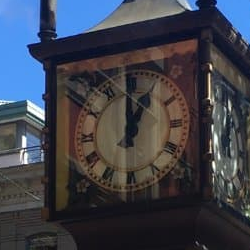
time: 1:00
